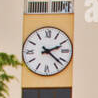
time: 2:21
